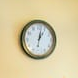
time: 1:02
